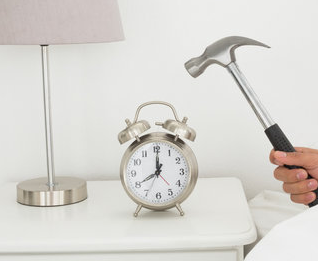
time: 8:00
